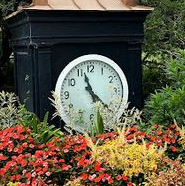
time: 11:22
